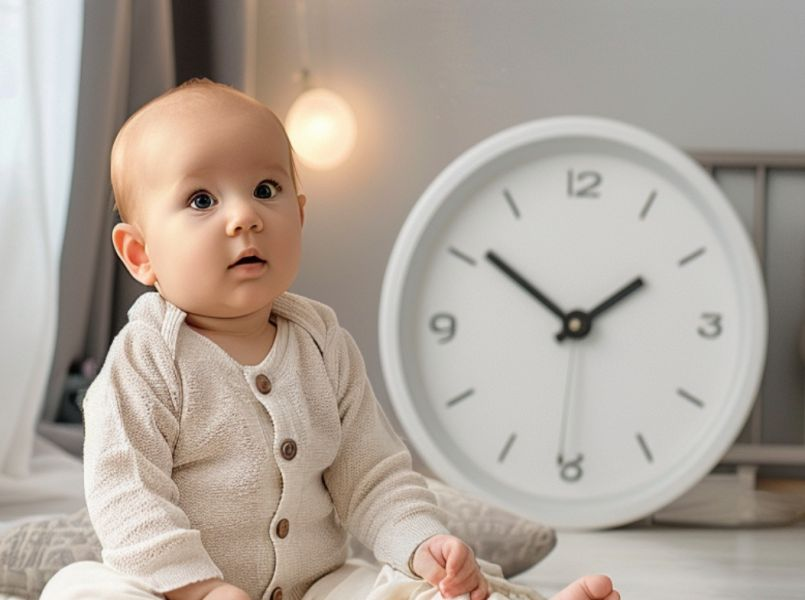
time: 1:51
